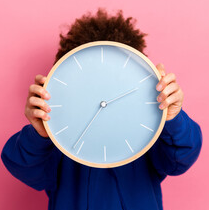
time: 7:11
